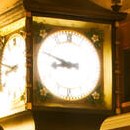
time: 8:48
